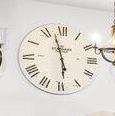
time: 5:57
